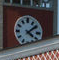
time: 4:08
